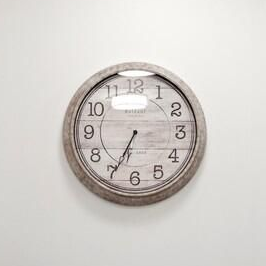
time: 6:34
